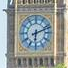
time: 6:11
